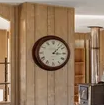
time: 3:07
